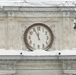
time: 11:55
